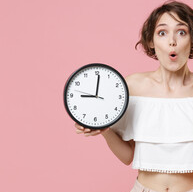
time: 9:00
